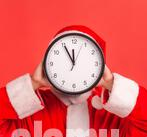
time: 11:55
